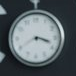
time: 3:40
